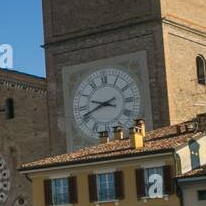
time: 9:41
